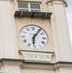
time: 6:06
